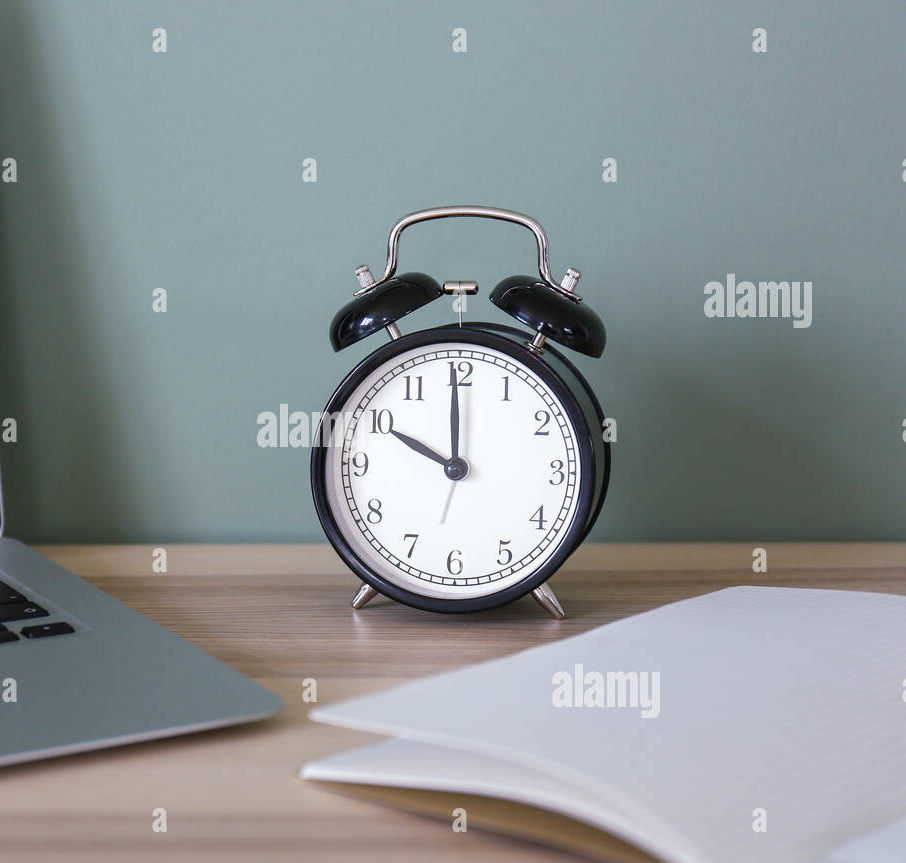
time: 9:59
